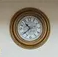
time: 10:38
